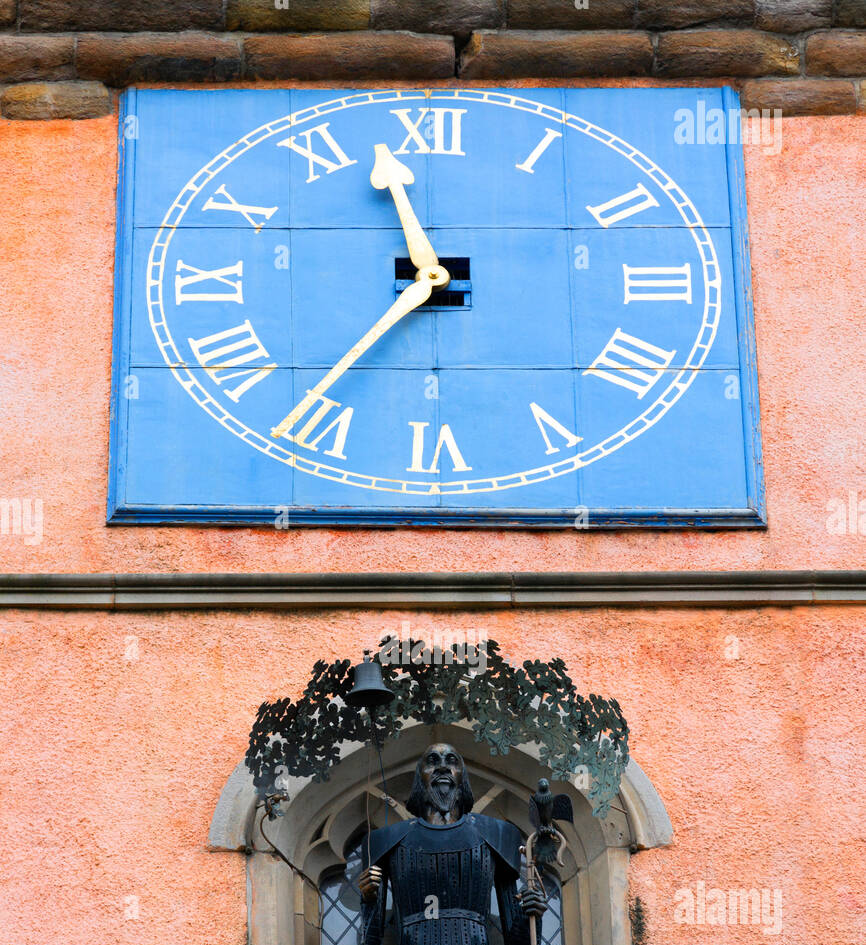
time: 11:36
